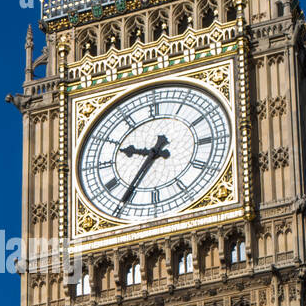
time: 9:36
